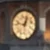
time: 12:47
